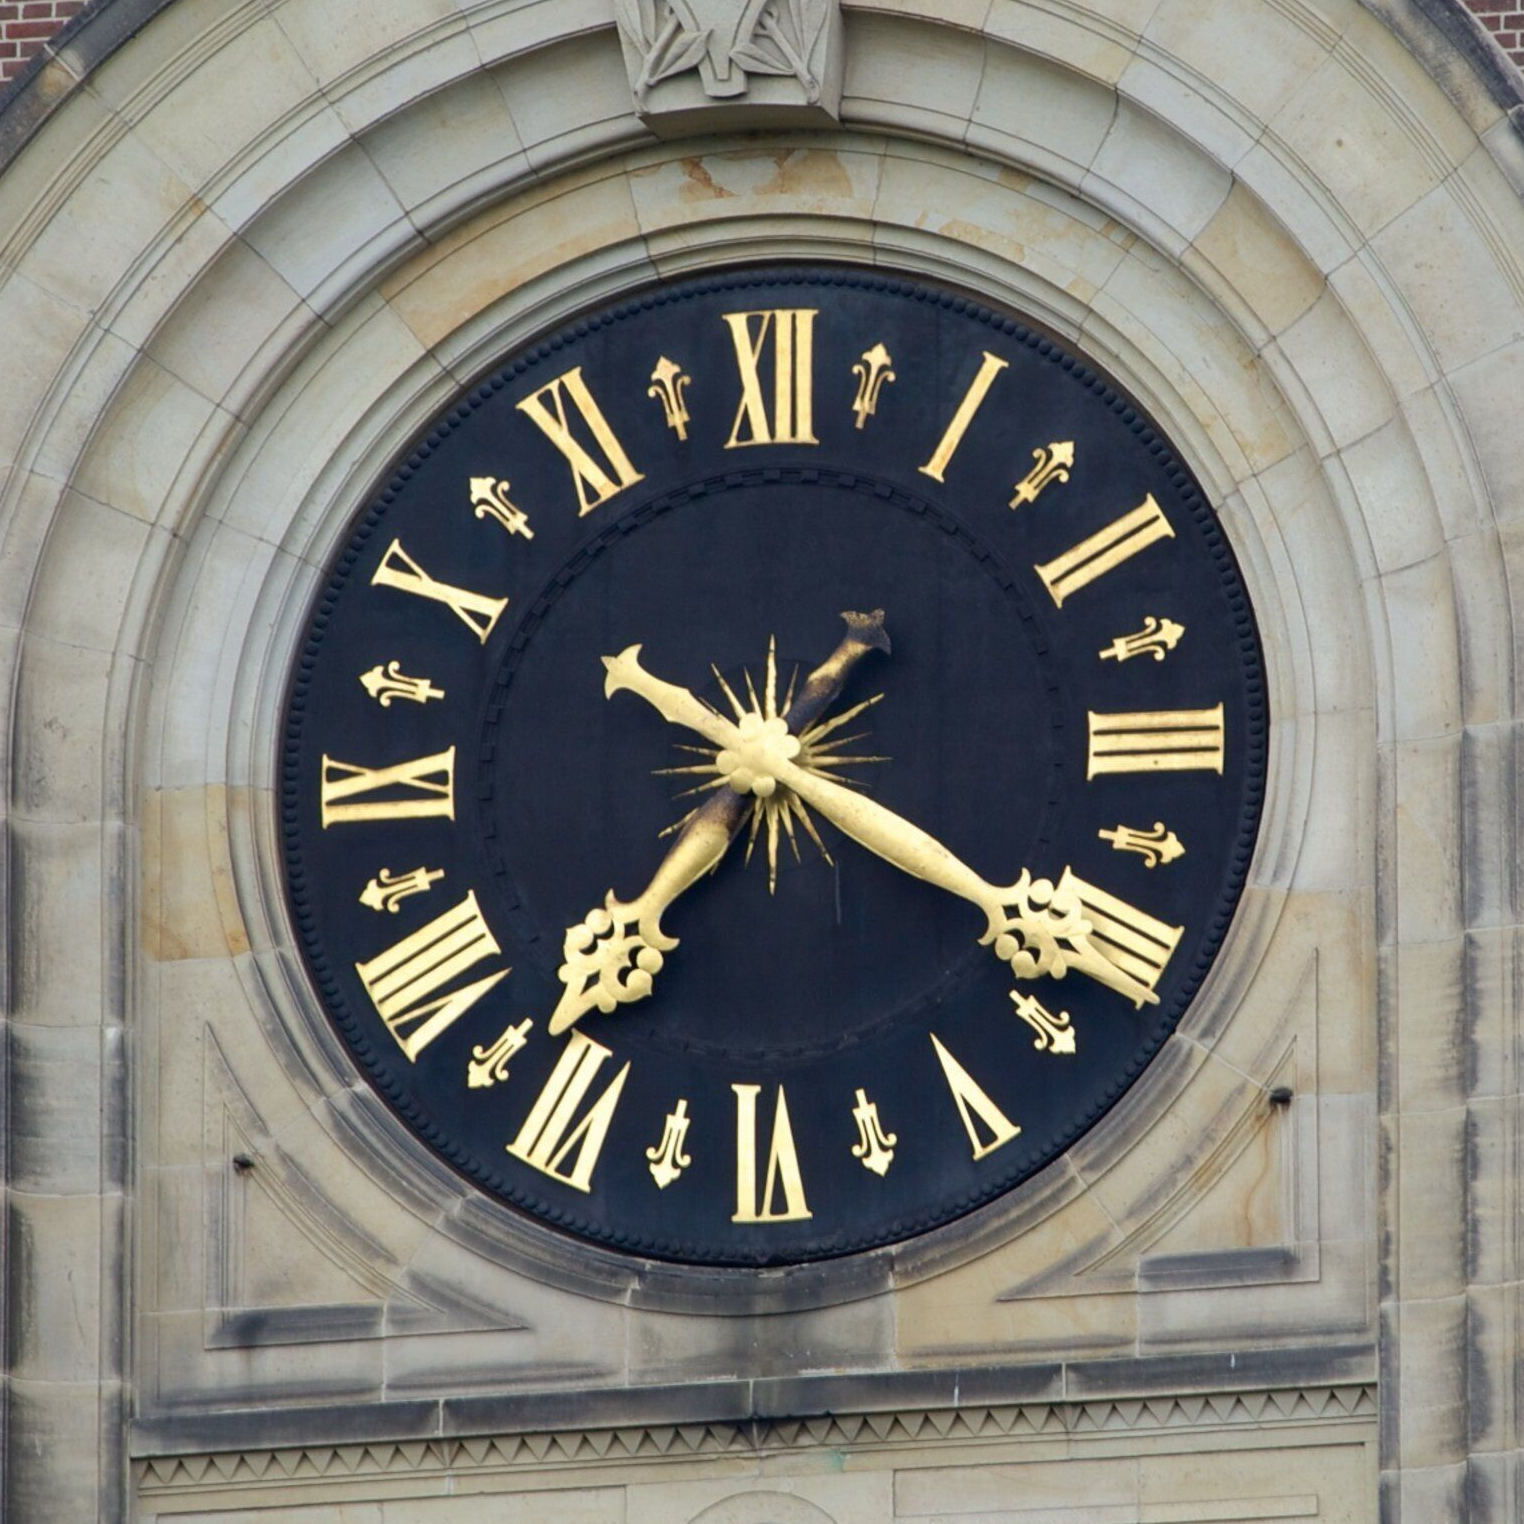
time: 7:19
